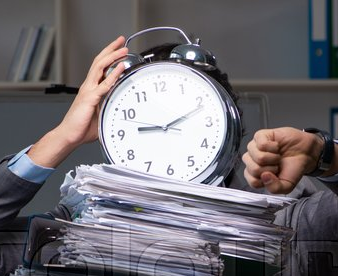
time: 9:11
